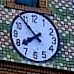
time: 7:53
